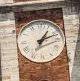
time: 1:11
